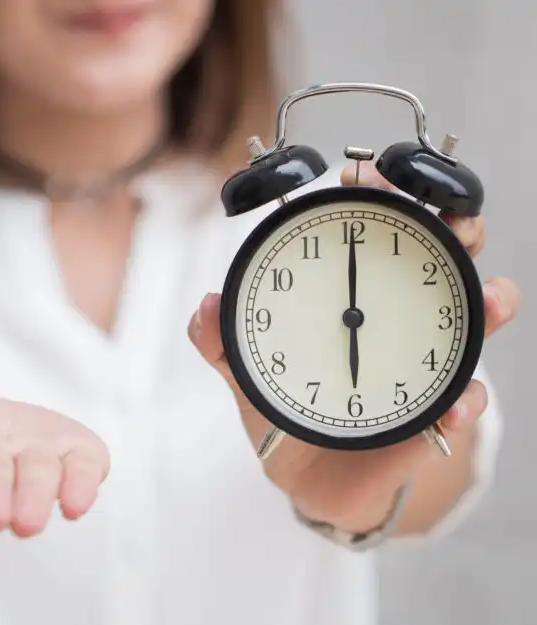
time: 6:00
